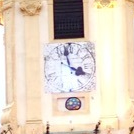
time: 3:58
